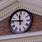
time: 11:46
